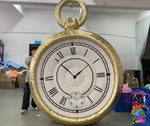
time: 1:52
